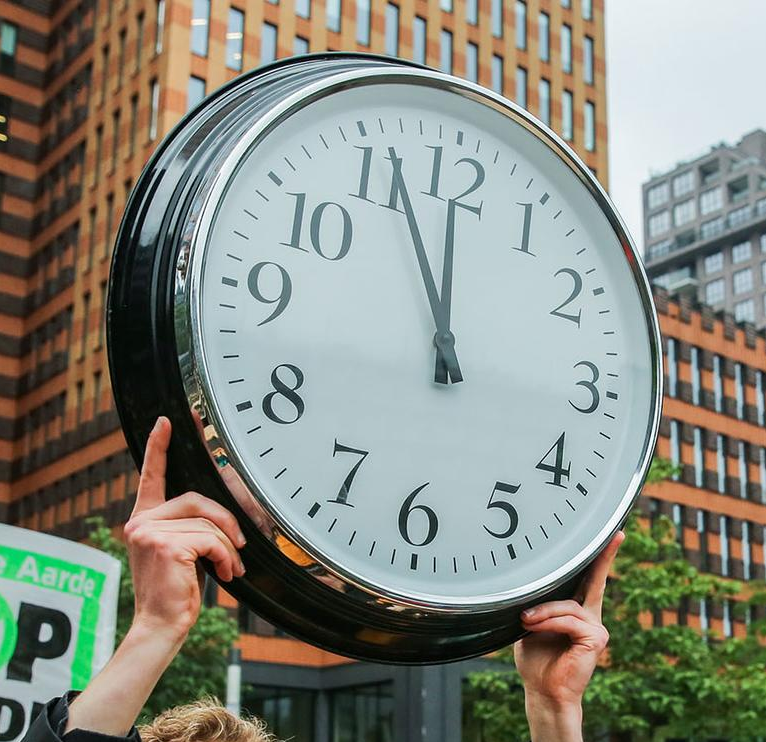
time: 11:56
